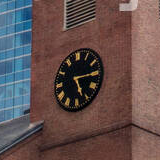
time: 5:14
